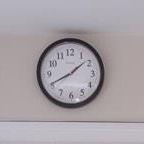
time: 1:40
